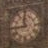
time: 11:44
